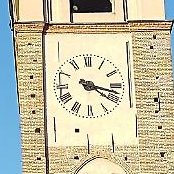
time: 4:17
